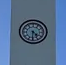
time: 4:30
